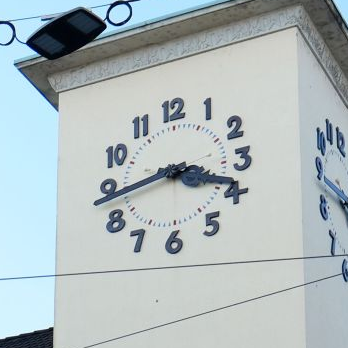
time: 3:43
